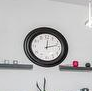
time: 12:12
